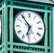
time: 6:53
